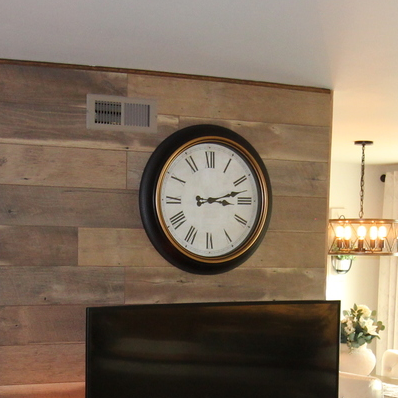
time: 3:12
